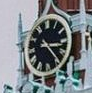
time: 3:23
